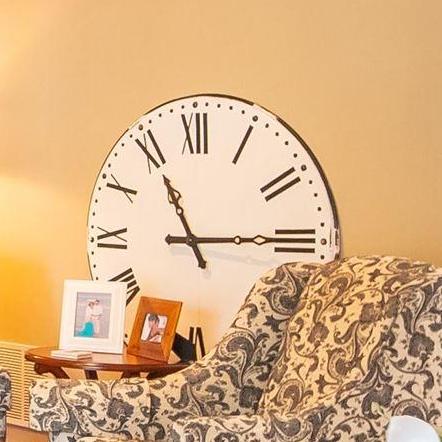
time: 11:14
